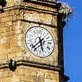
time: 5:38
